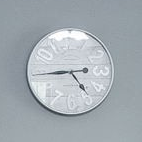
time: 4:44
